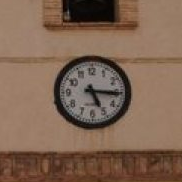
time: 5:15
